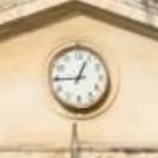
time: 12:44
